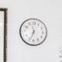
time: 11:33
